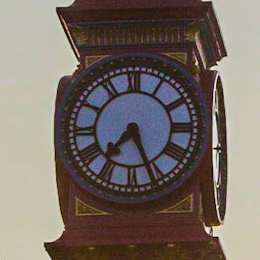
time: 7:26
